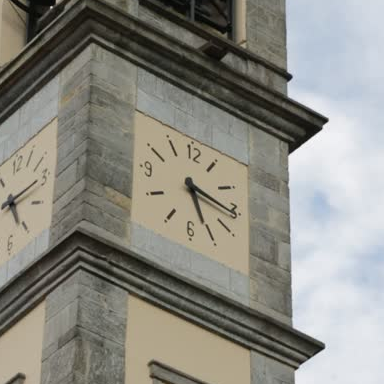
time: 5:15
